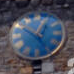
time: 12:50
